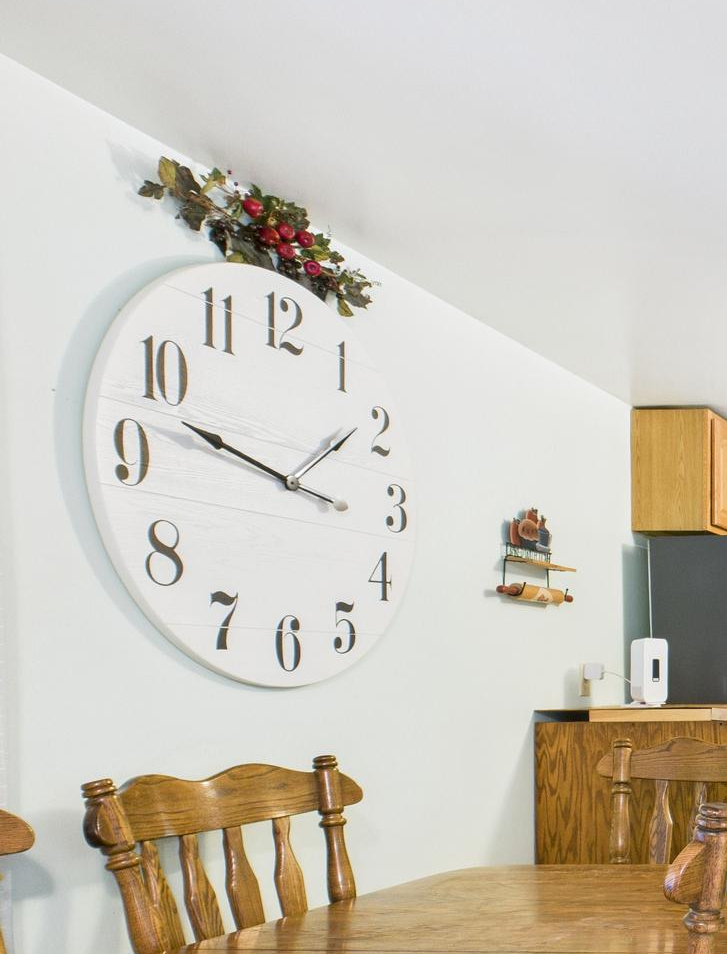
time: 1:47
